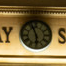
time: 5:56
